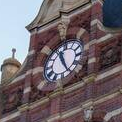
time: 11:25
